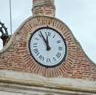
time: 11:55
